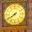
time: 7:39
